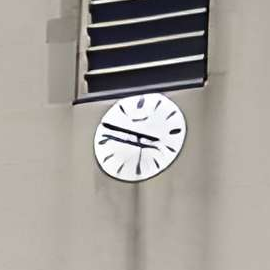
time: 3:49
